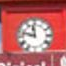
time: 11:47
